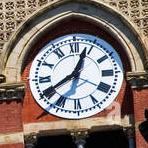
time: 12:40
